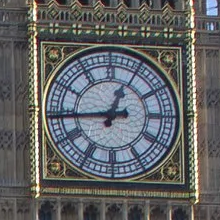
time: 12:44
